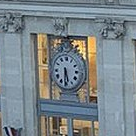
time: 5:31
